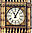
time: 11:05
